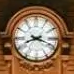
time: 8:18
